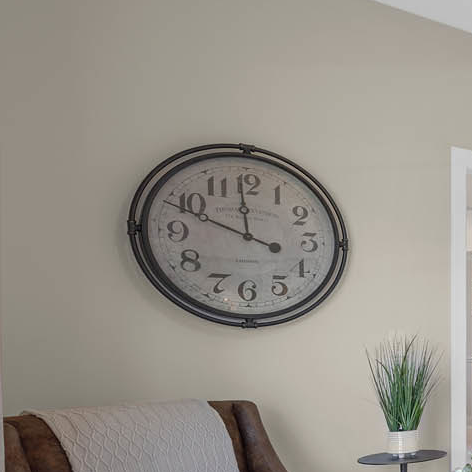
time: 11:48
